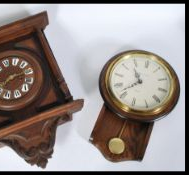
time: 11:41
